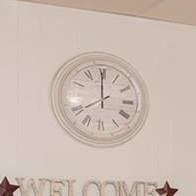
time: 7:59
